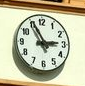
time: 2:55
